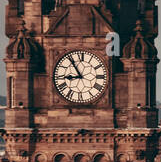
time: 8:54
